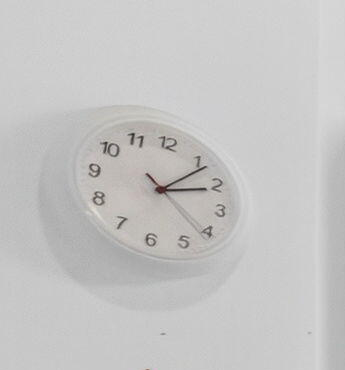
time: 2:06
